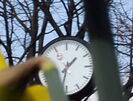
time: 1:32
